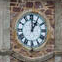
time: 1:00
